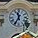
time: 11:35
